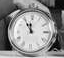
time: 11:55
